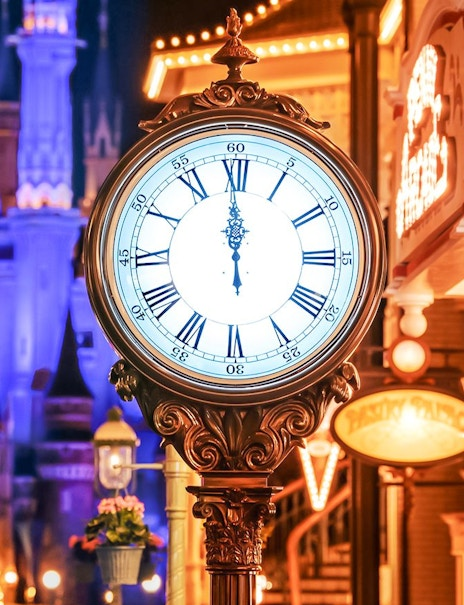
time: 11:59
